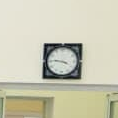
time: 3:46
